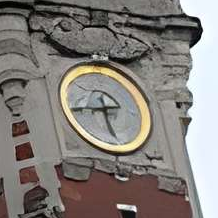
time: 5:42
